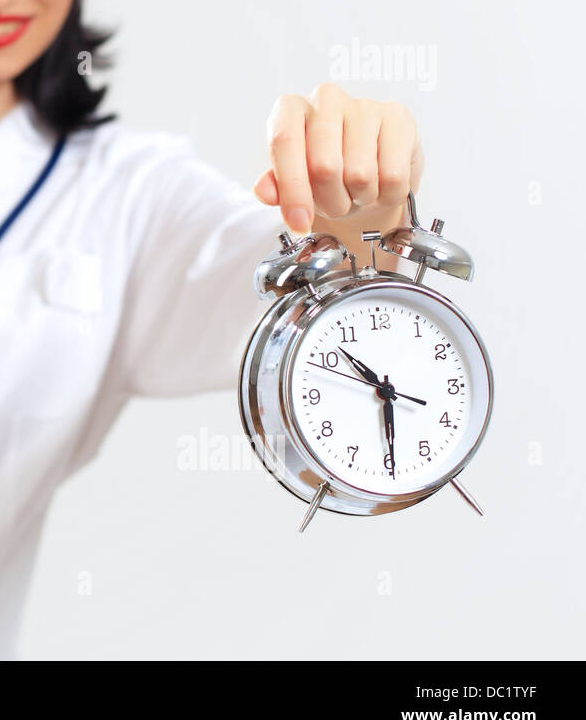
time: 10:29
